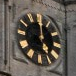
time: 5:00
